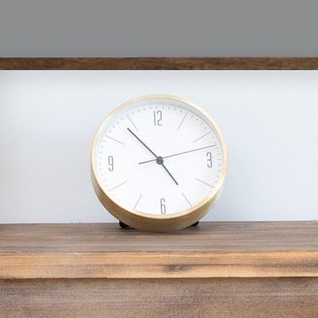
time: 4:53
